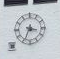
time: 3:34
